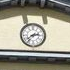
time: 2:38
